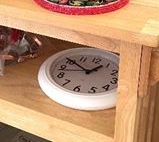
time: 1:50
